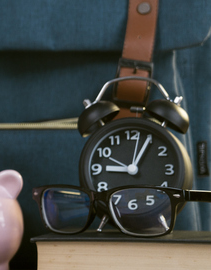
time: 9:05
